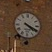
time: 4:19
